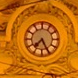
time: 7:25
